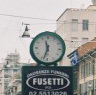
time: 11:32
